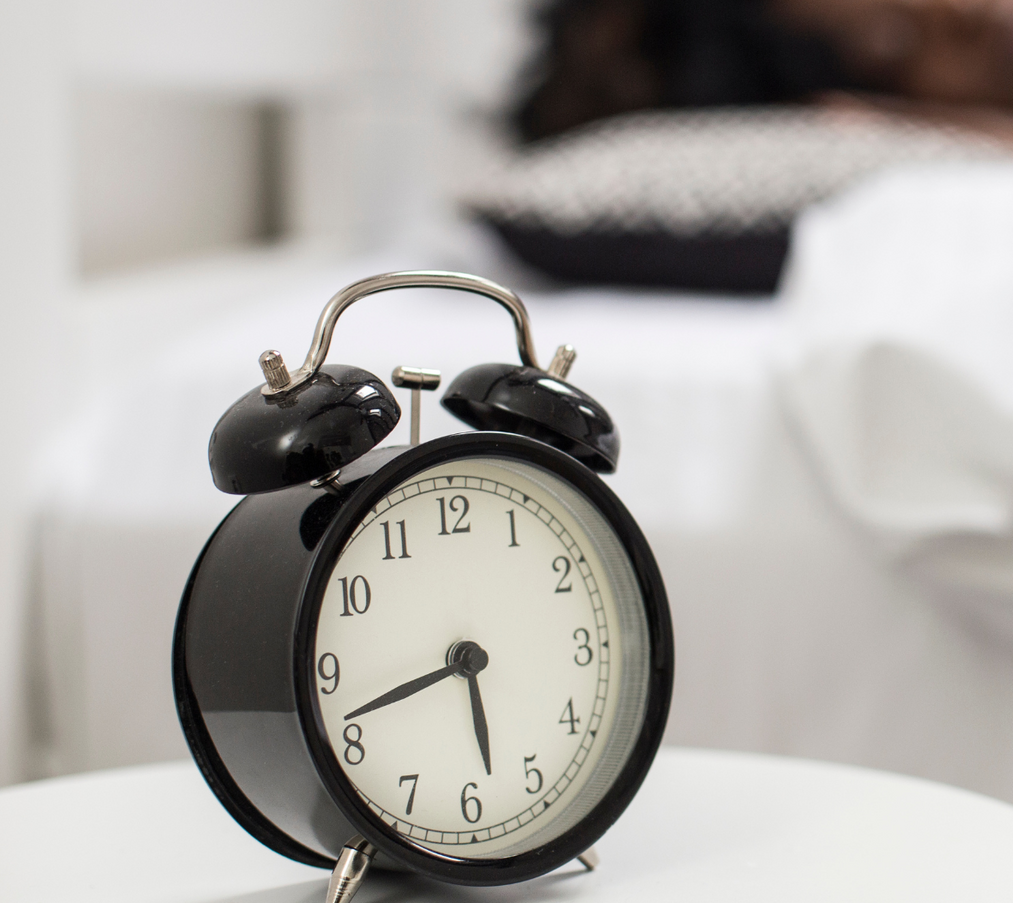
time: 5:42
